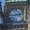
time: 2:45
